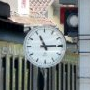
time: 11:14
